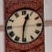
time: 12:31
